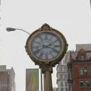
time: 3:40
